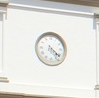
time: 4:21
